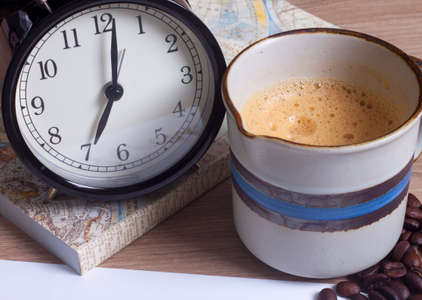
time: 7:01
